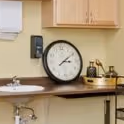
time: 3:09
